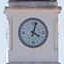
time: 4:02
